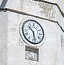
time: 10:28
